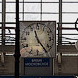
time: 11:23
